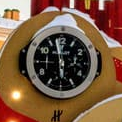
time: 5:57
